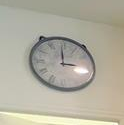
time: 2:59
